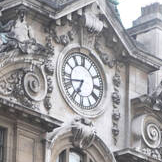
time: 6:42
